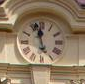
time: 11:57
